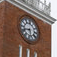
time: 5:42
